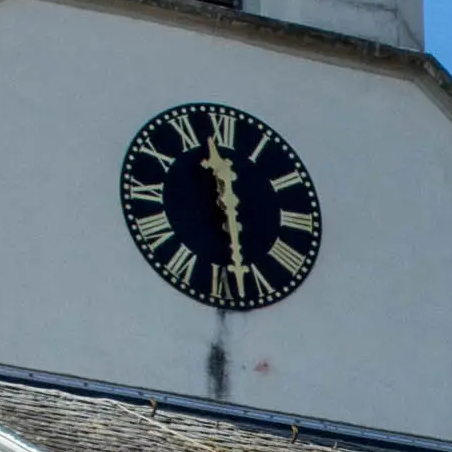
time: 11:28
